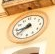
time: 8:38
